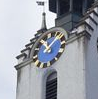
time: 11:07
